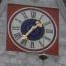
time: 1:36
